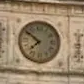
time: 7:51
